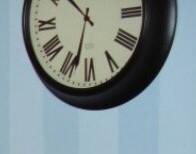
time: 10:32
